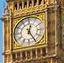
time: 12:24
